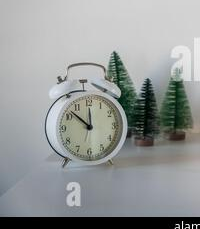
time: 11:52
